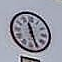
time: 11:26
